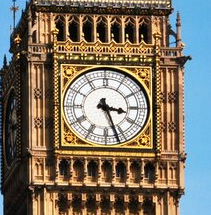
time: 3:26
